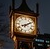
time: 8:09
